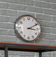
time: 3:10
